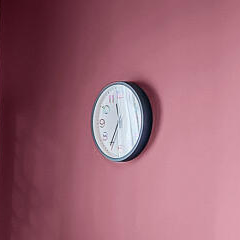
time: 11:35
